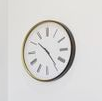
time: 10:23
